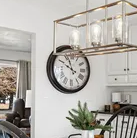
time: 9:57
